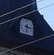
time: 3:29
